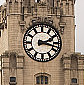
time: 2:17
